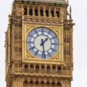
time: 1:28
